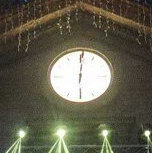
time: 6:00
